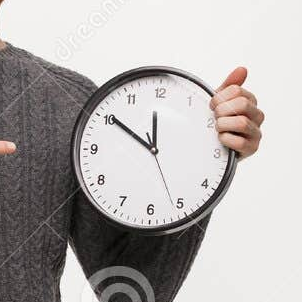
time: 11:50
